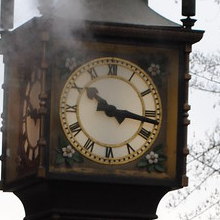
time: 10:16
